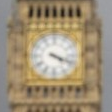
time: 4:18
